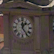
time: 1:24
